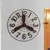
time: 3:40
